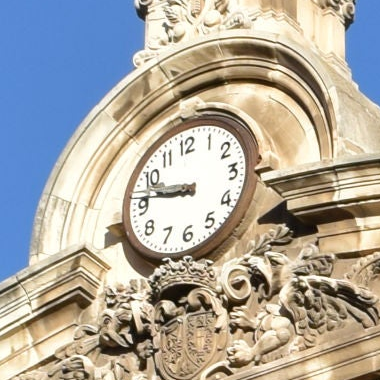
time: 9:46
